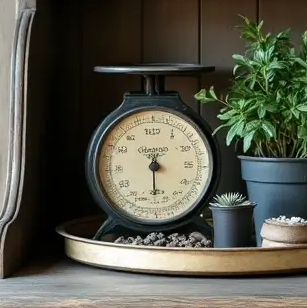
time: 12:30
